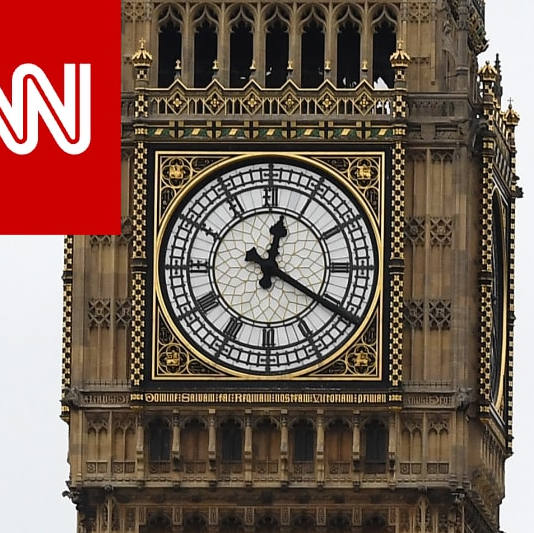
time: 12:20
